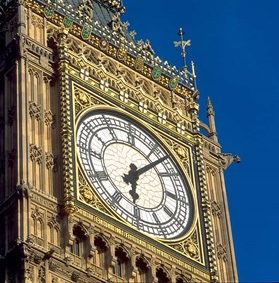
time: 6:07
